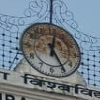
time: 12:24
